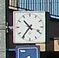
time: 10:36
